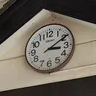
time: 3:09
